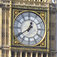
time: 12:39
